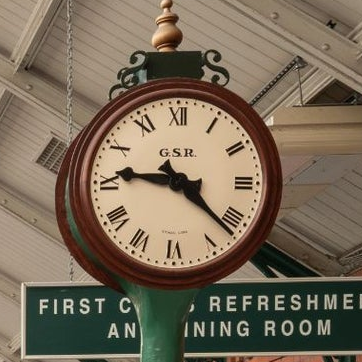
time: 9:22
